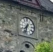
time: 7:32
